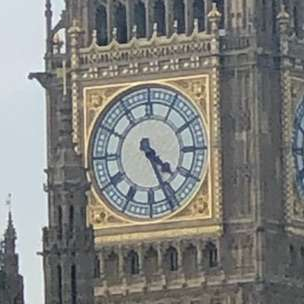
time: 4:26
